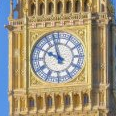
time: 9:57
